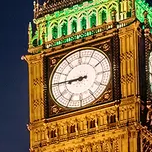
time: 8:45
